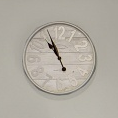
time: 10:56
